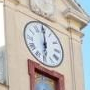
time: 5:59
